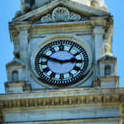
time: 2:48
